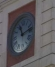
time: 11:12
